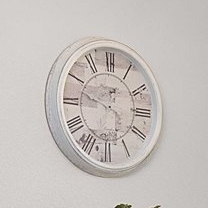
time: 12:47
